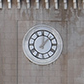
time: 12:07
